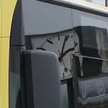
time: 2:03
